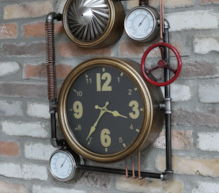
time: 3:35
